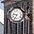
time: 9:34
